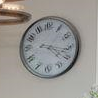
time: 4:16
